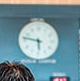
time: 5:46
